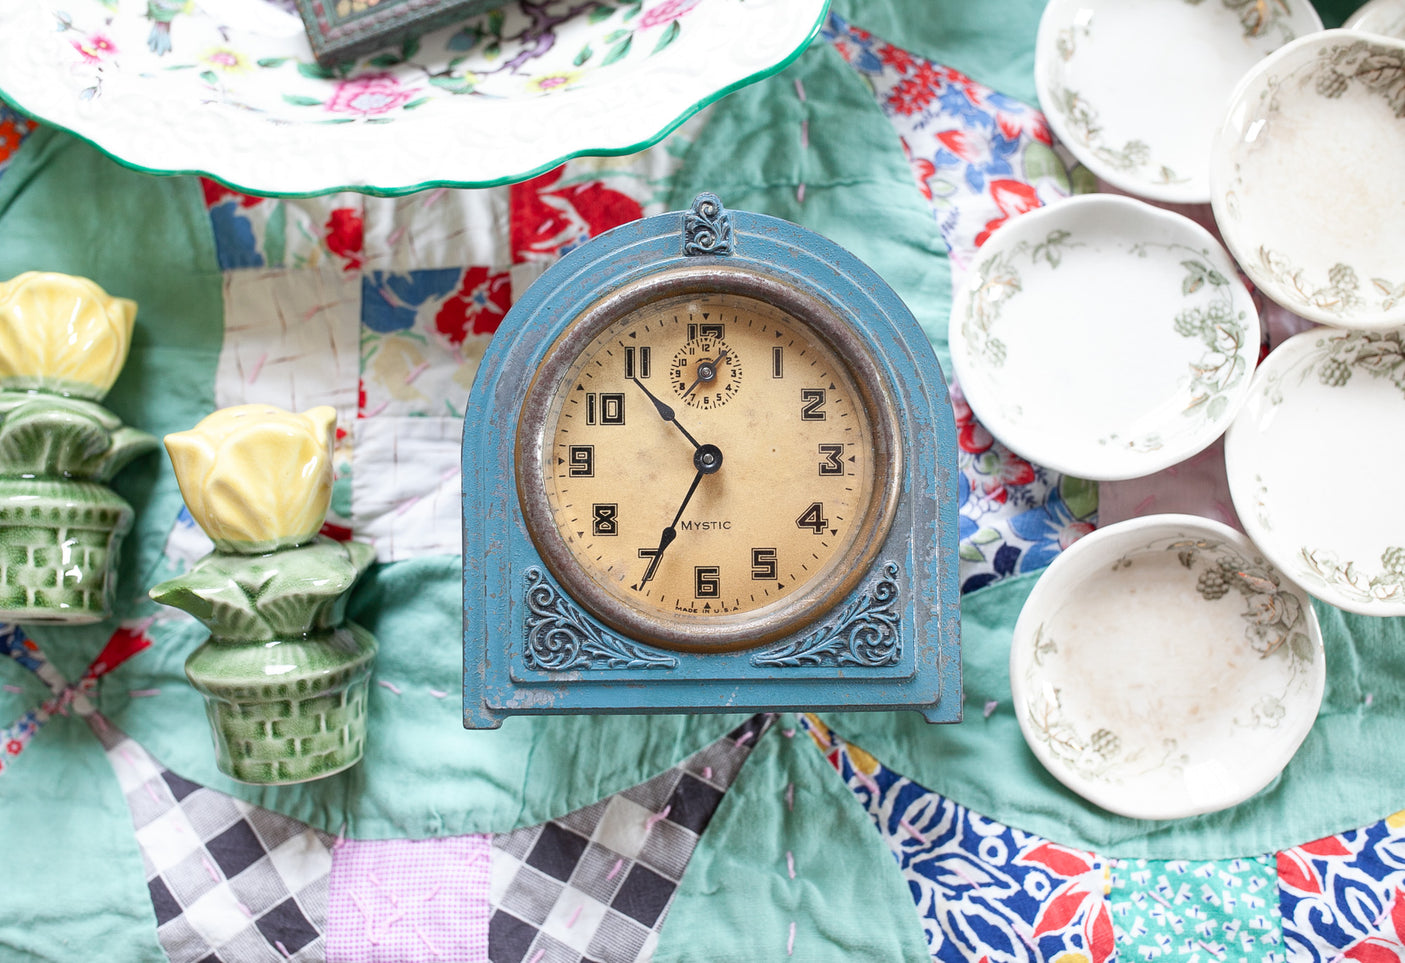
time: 6:53
